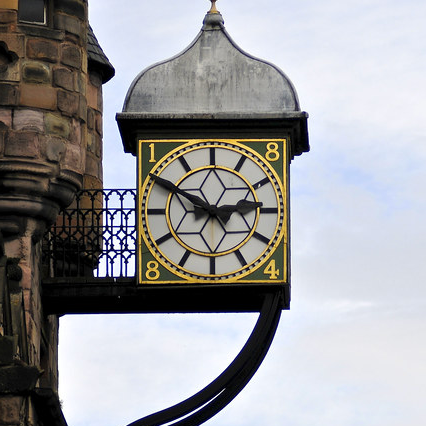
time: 2:49
